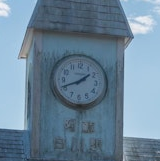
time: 1:41
